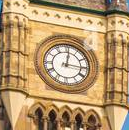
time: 12:15
